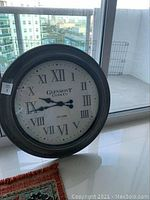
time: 9:43
